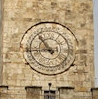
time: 10:43
